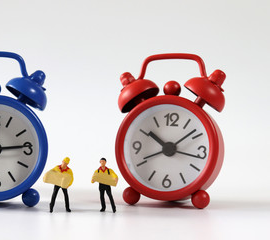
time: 10:16
